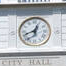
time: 12:41
